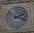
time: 2:18
